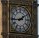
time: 1:43
